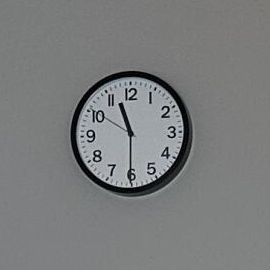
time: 11:29
